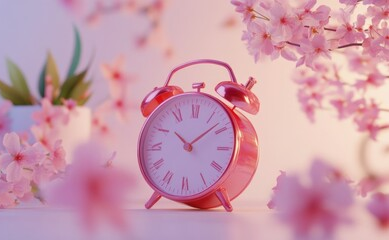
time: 10:08
